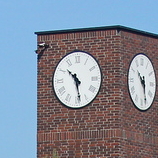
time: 10:28
